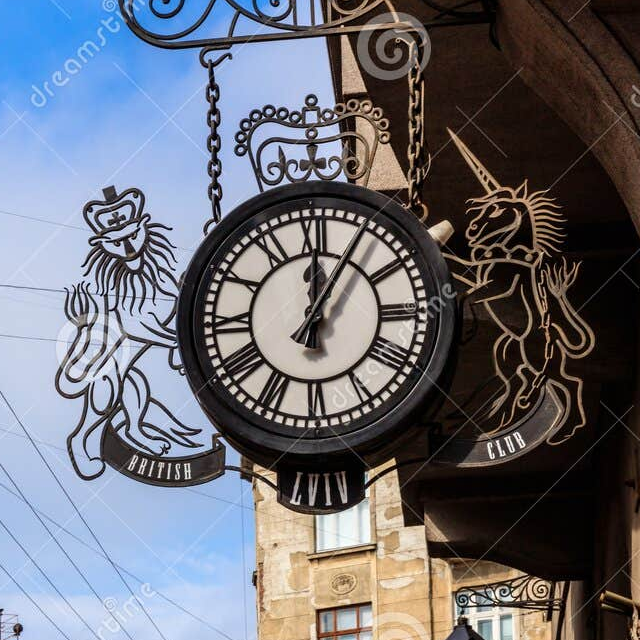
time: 12:05
